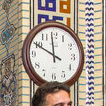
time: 11:49
